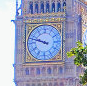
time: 9:47
